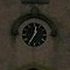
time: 12:34
